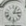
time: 3:04
